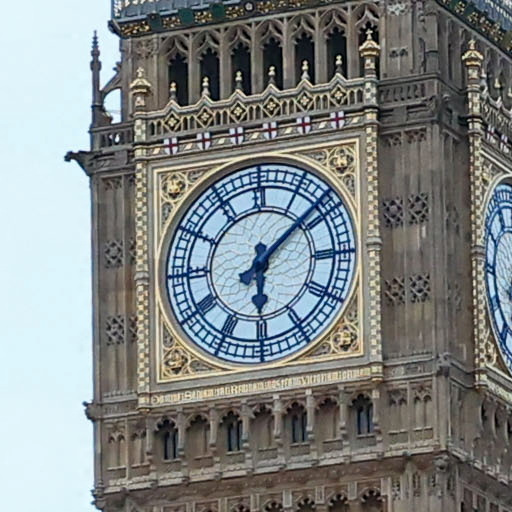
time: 6:08
